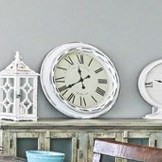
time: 11:40
